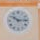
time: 10:14
